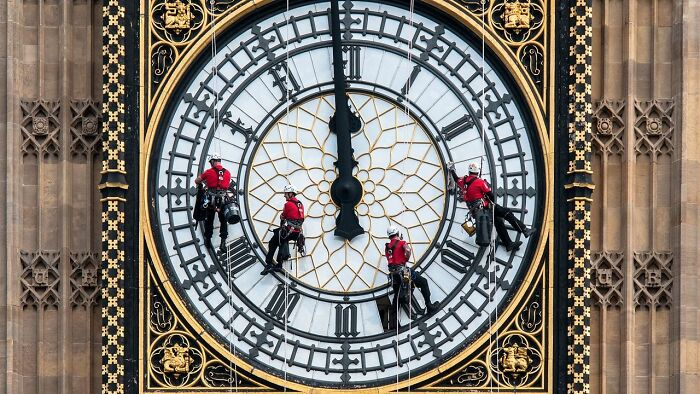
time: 11:58
